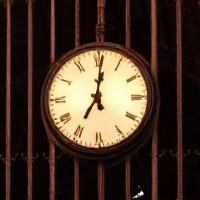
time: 7:00
